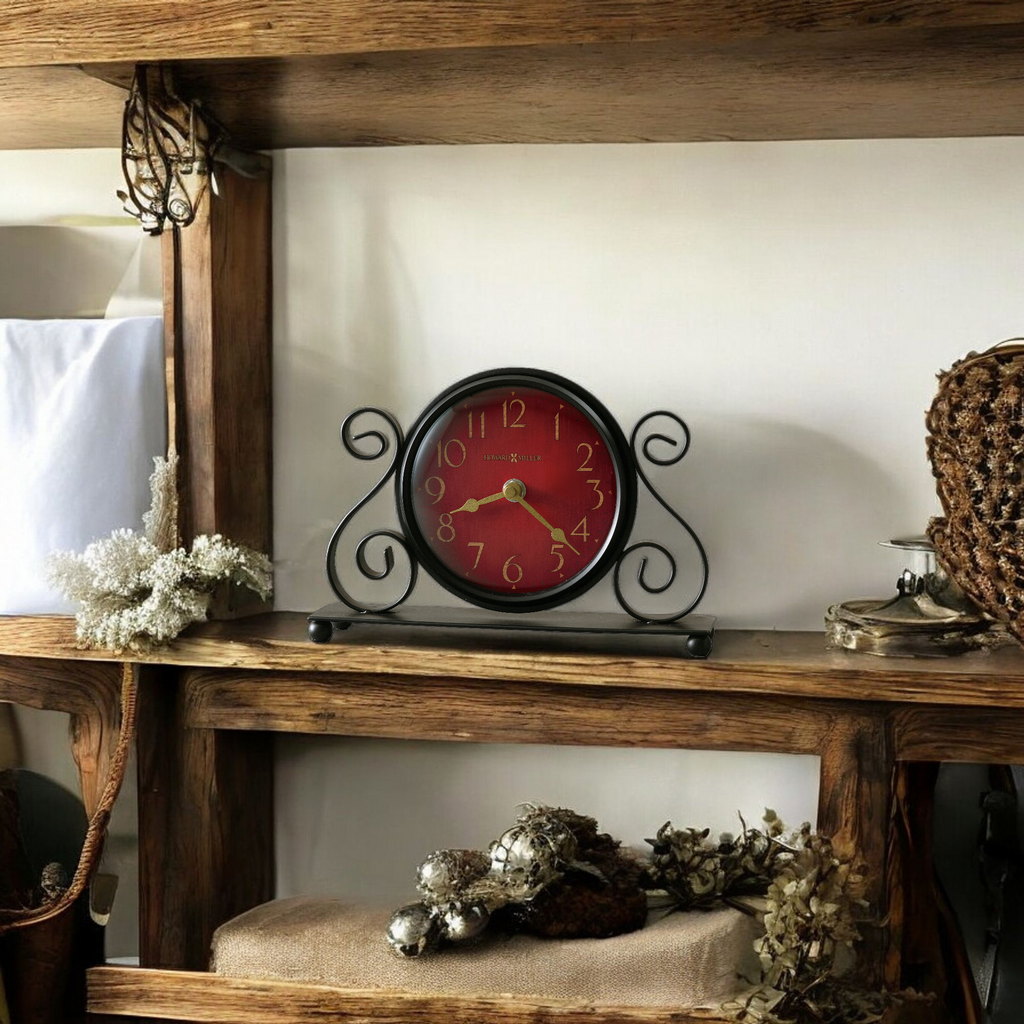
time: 8:22
